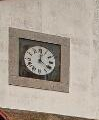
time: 4:01
